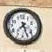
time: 7:25
